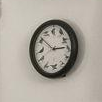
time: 2:51
